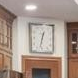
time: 12:32
